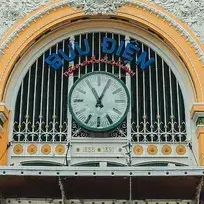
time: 11:04
